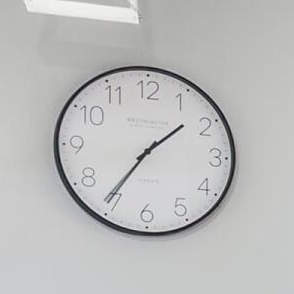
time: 1:35
